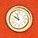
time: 9:57
